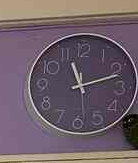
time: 11:12
